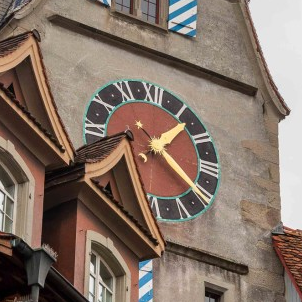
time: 1:20
